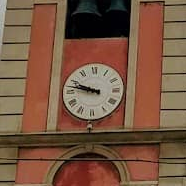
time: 9:47
